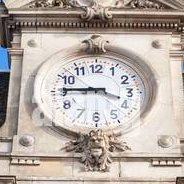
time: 3:45
